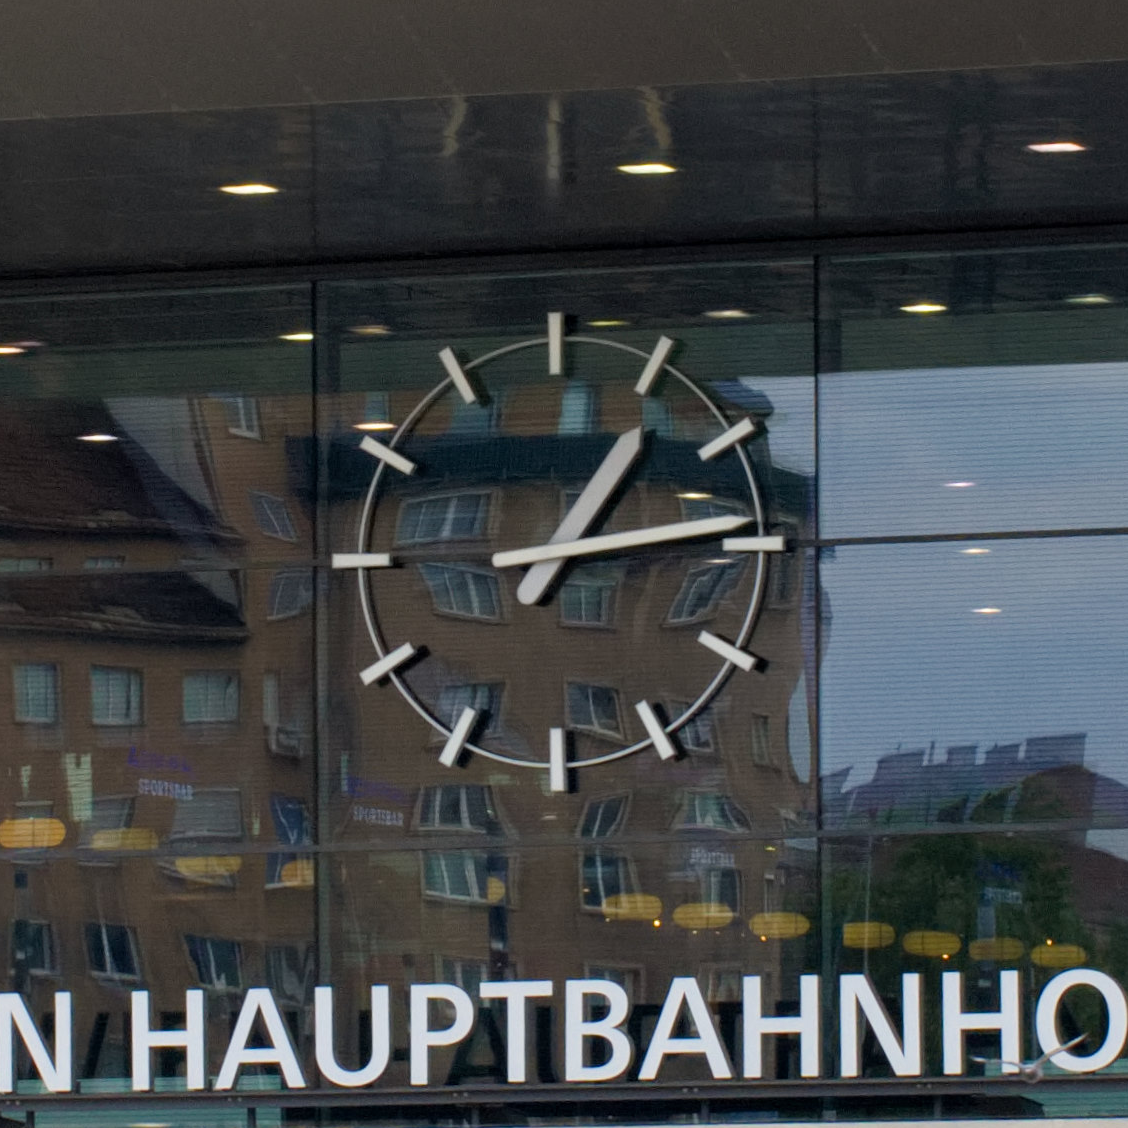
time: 1:13
